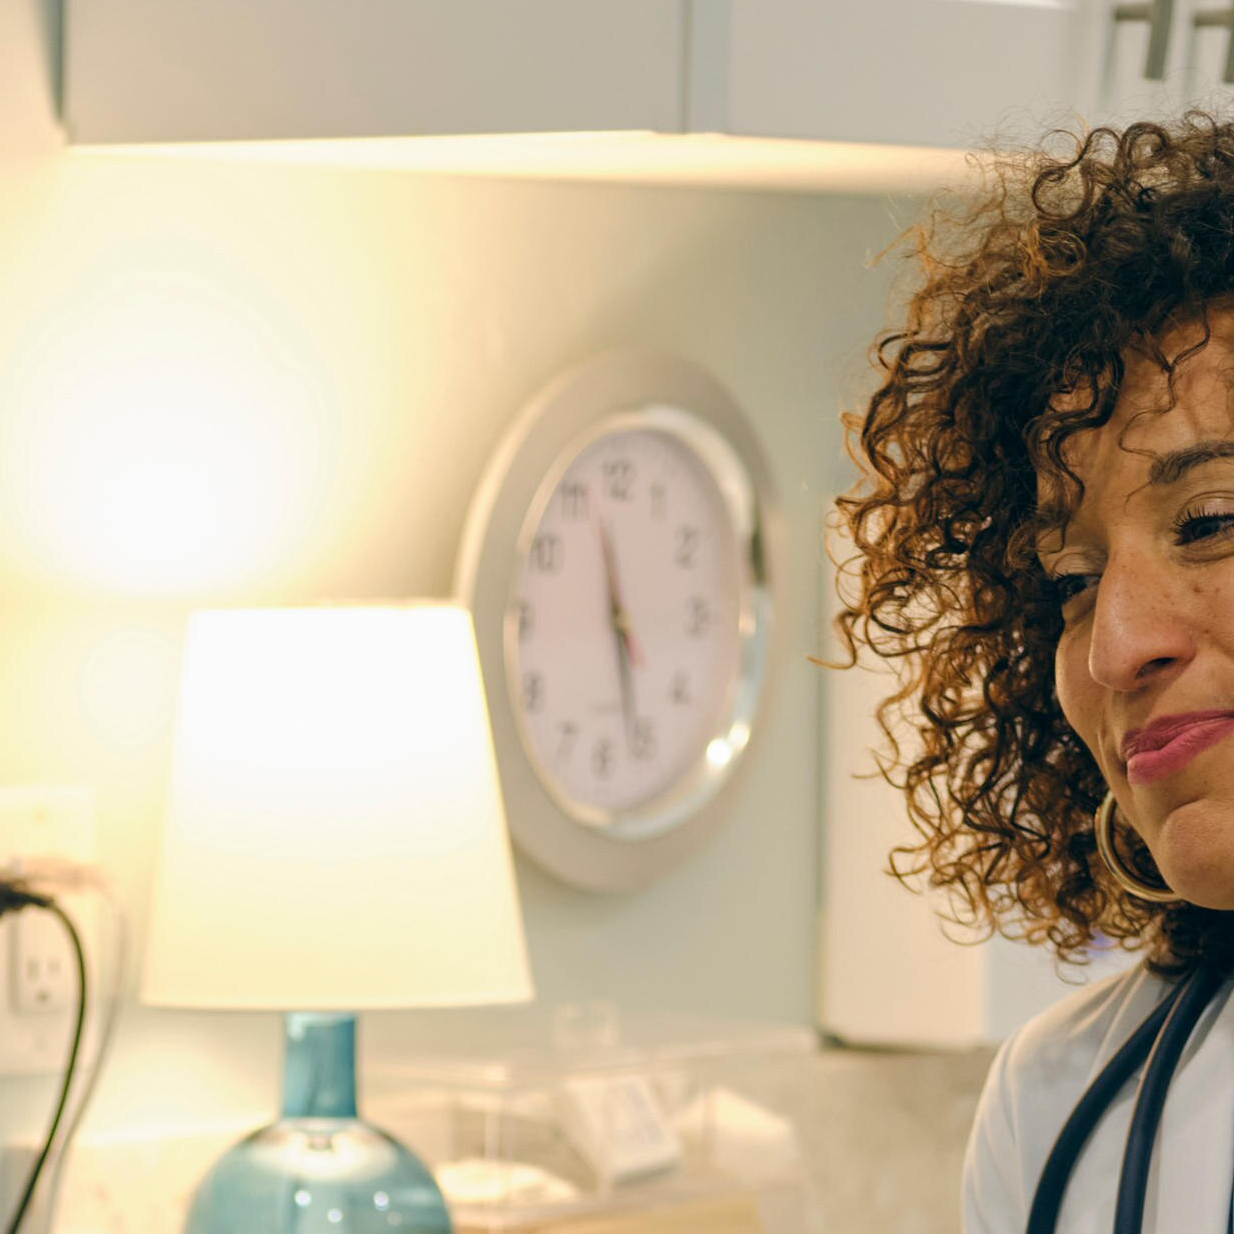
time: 11:26
